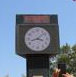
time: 3:42
